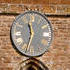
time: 11:33
